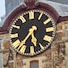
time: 5:35
